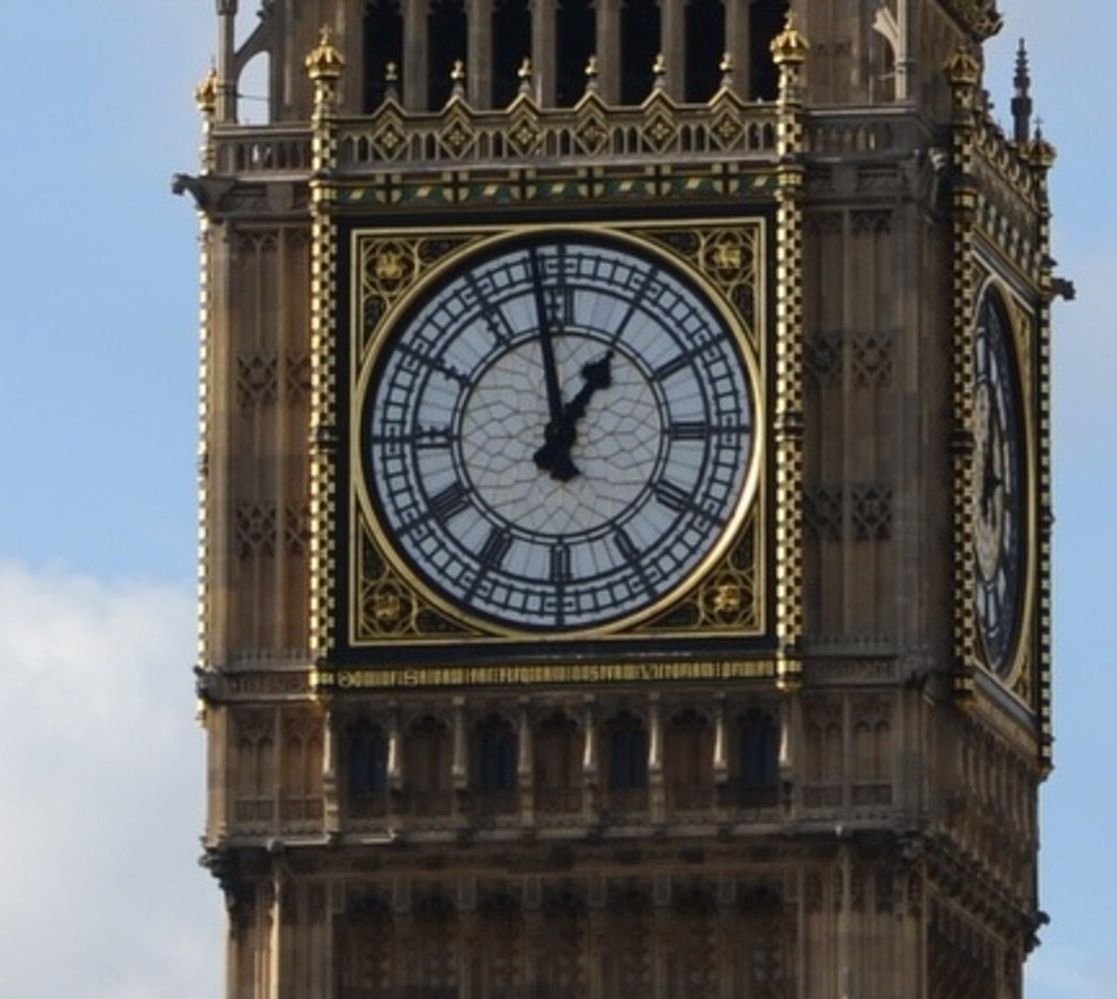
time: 12:58
